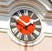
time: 1:50
